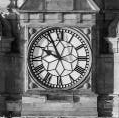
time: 9:55
